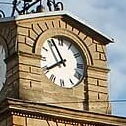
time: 7:55
